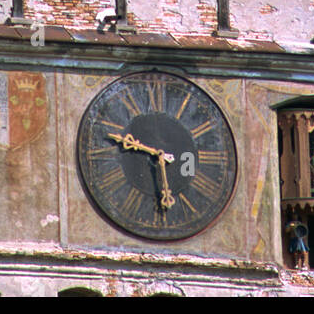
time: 9:28
